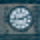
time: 9:11
